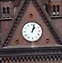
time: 1:02
